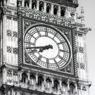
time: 7:42
